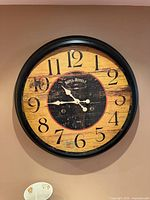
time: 10:45
